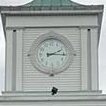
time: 2:15
